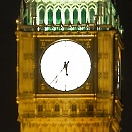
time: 5:36
